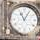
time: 11:05
